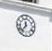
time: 11:36
